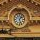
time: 1:26
